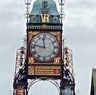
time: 11:46
